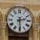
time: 2:29
